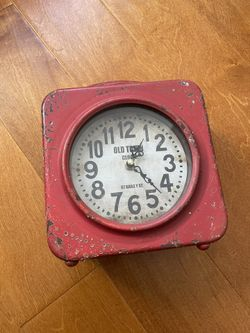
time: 1:22
